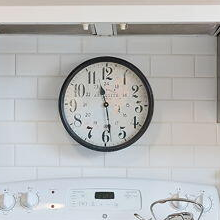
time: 11:28
